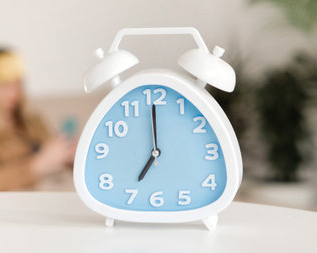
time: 7:00
